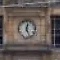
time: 12:26
